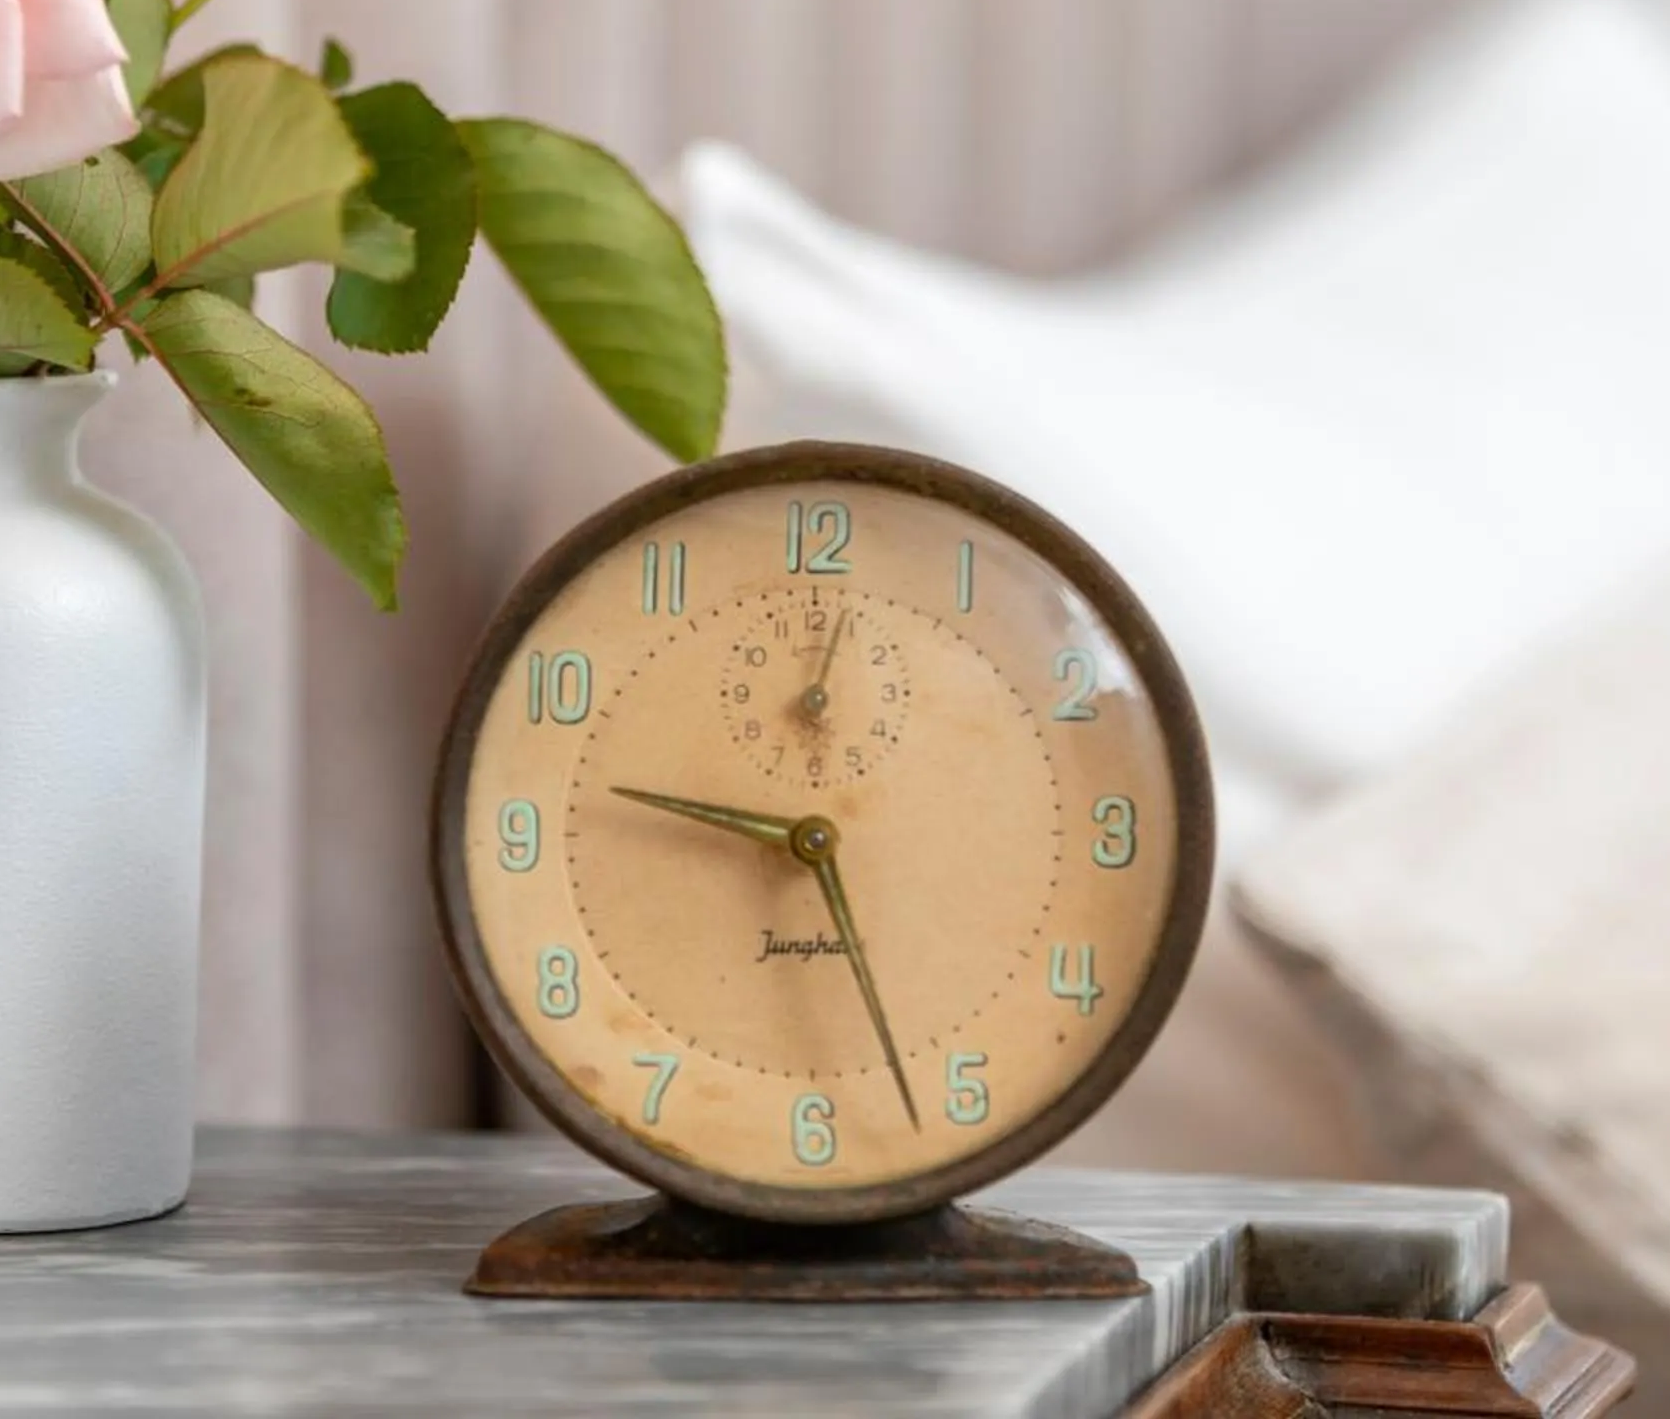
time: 9:26
